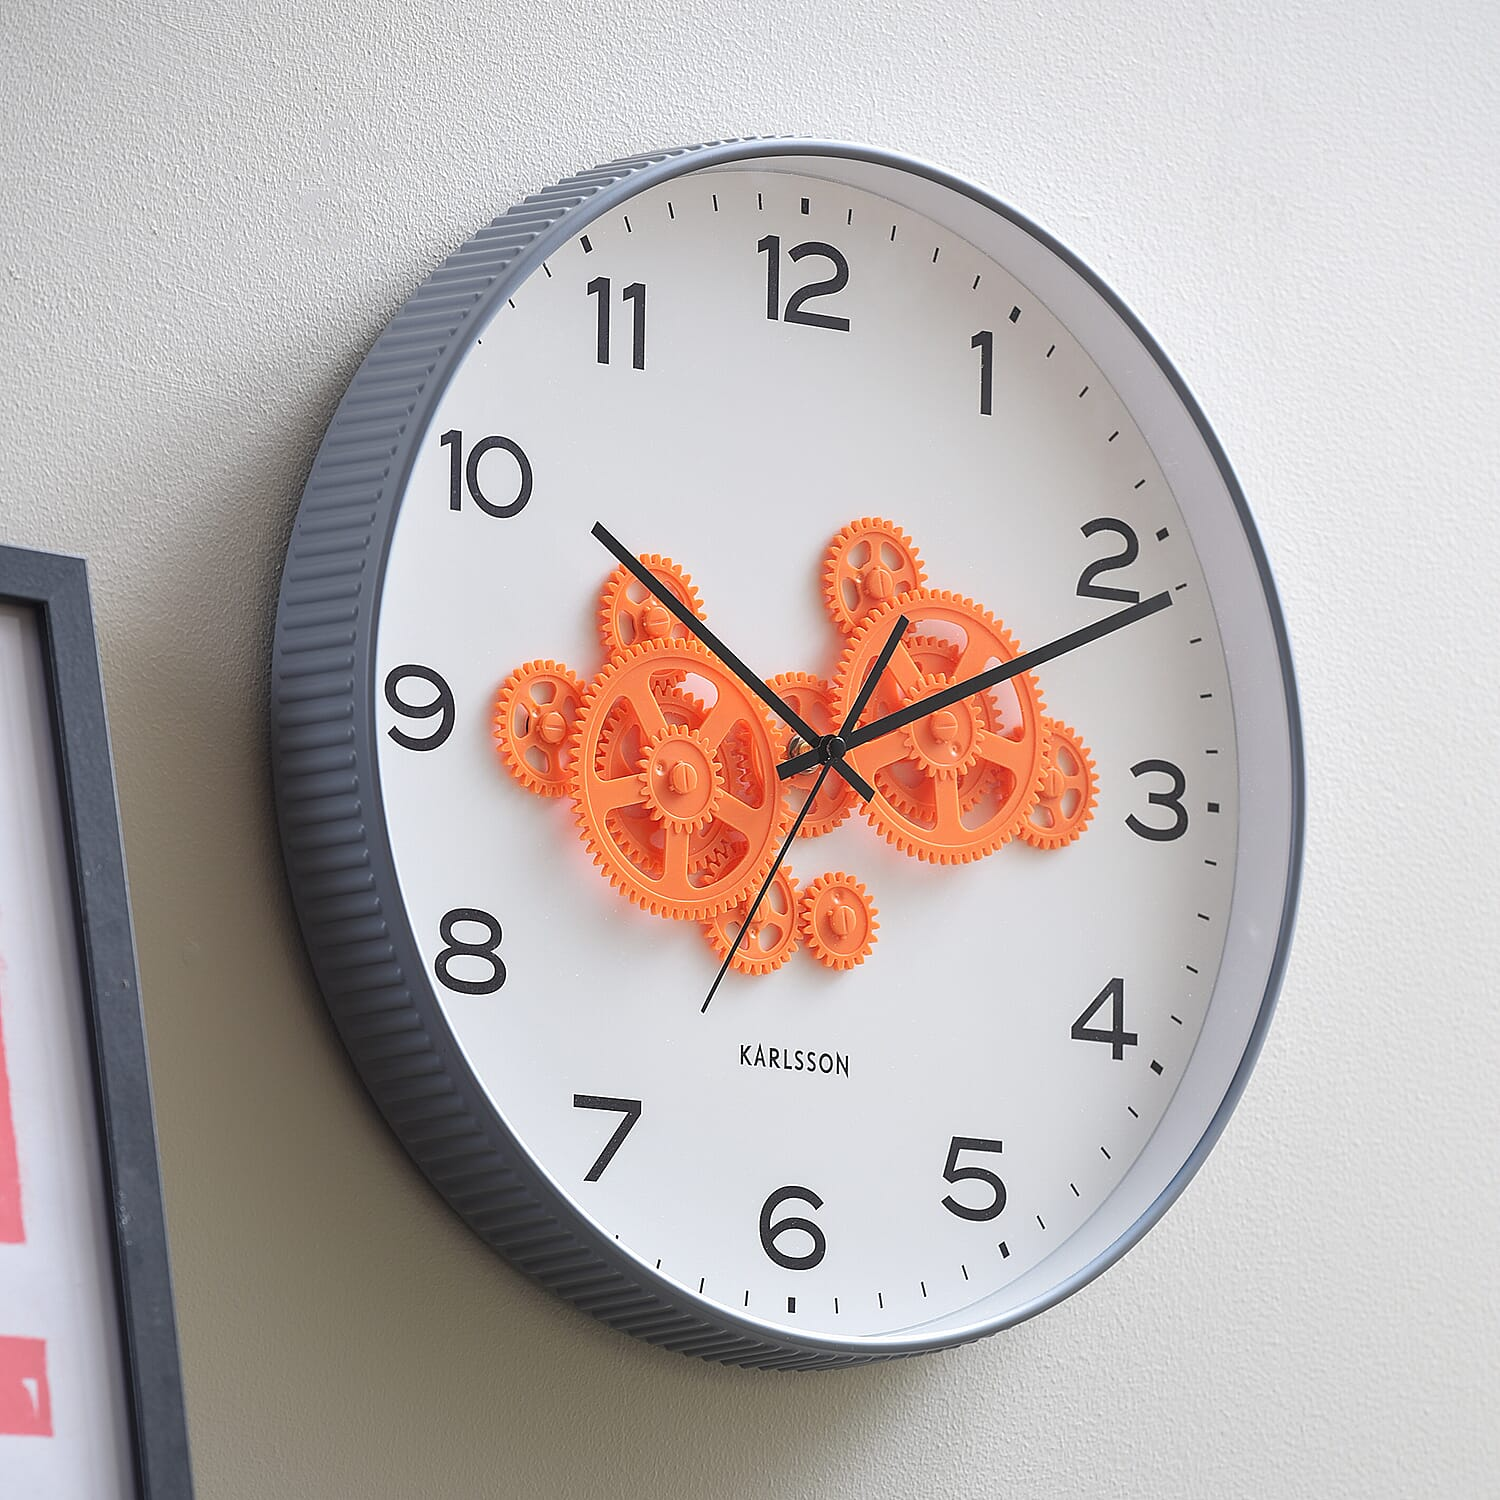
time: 10:11
